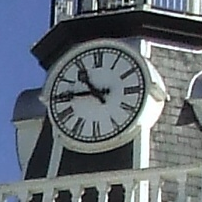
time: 10:45
